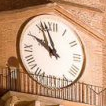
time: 9:56
